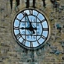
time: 8:56
